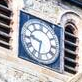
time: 9:32
